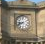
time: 8:40
